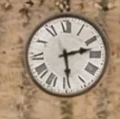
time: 2:29
